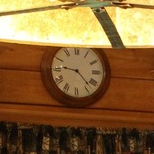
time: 9:22
